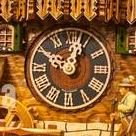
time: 12:49
